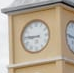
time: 8:45
